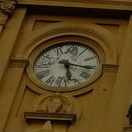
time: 5:16
